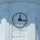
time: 12:16
